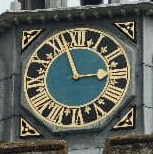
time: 2:56
